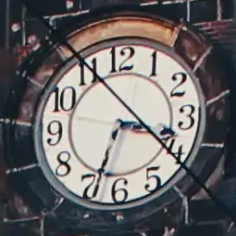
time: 3:33
